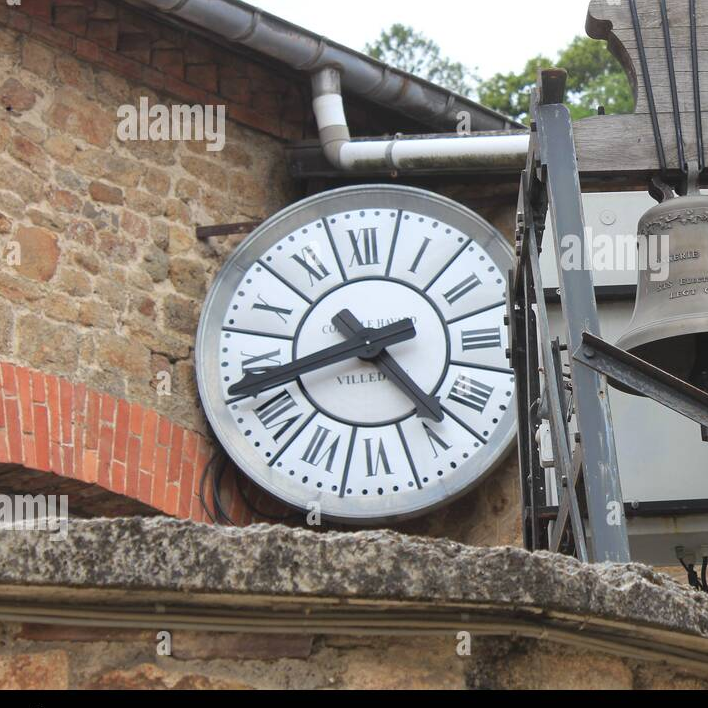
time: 4:42
